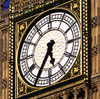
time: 5:35
